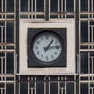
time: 1:13
